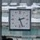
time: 2:26
